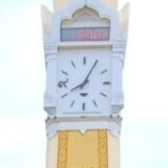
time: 8:04
